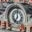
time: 7:00
